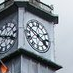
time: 3:48
